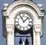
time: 11:07
